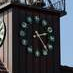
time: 2:23
